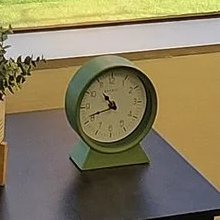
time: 10:41
